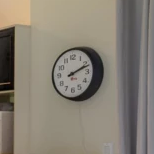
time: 2:11
